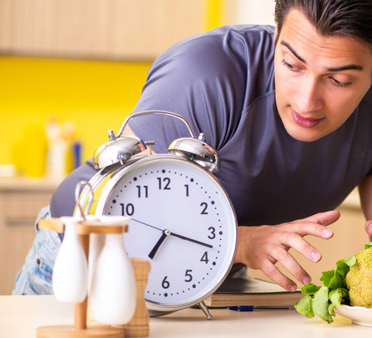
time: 7:17
